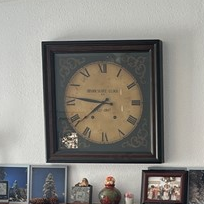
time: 7:46
